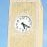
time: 5:18
